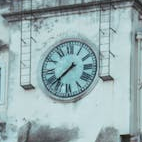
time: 7:37
